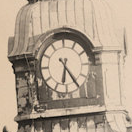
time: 6:24
